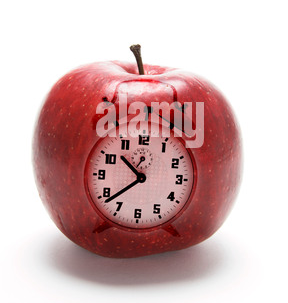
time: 10:38
